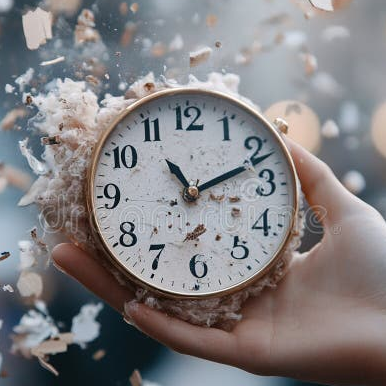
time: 11:11
